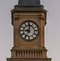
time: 9:01
